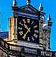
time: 10:36
